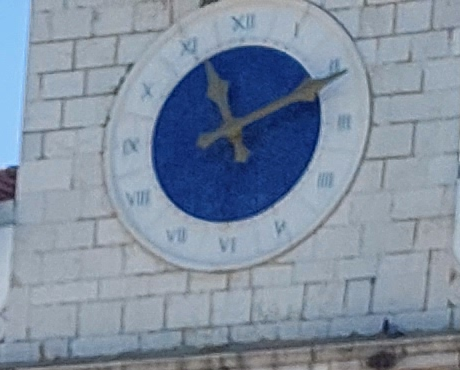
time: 11:11
